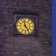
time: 4:57
